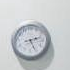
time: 2:25
